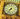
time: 7:01
